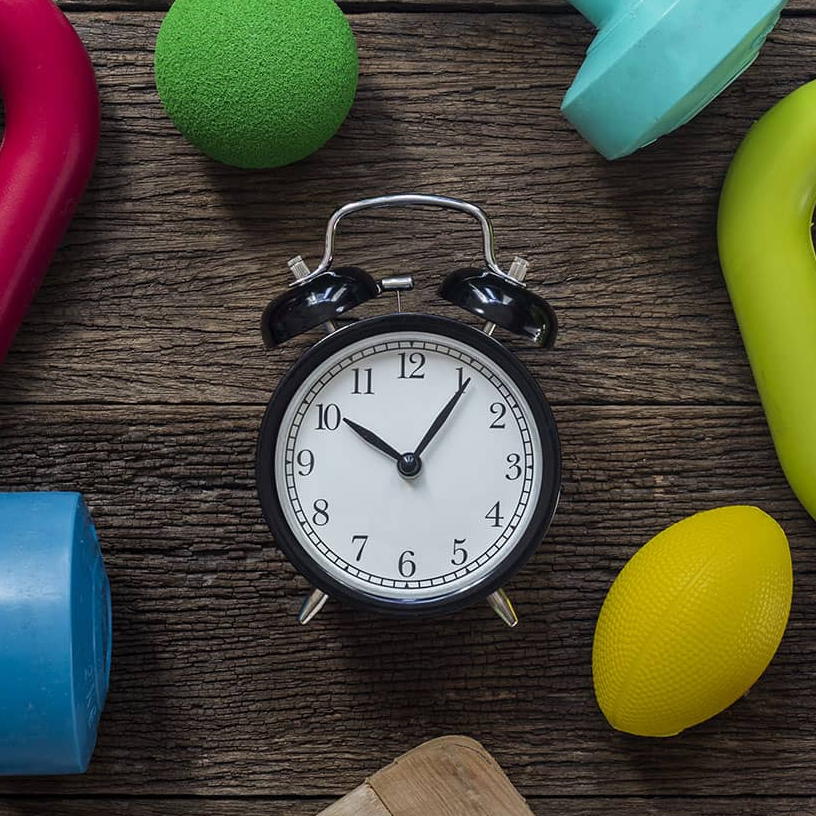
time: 10:05
